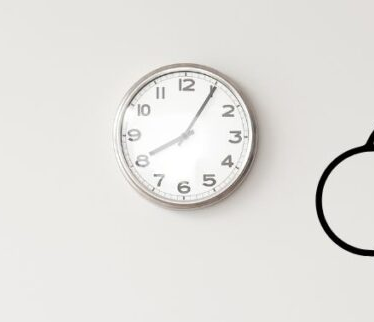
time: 8:05
